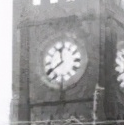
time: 11:39
